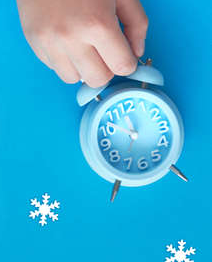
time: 11:51
